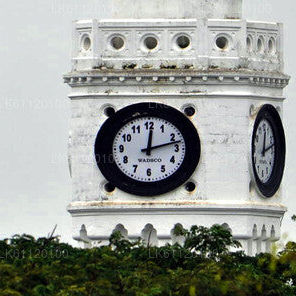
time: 12:12
